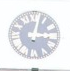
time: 3:02
